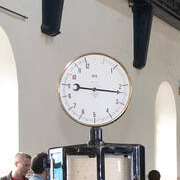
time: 9:17
